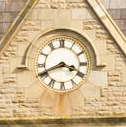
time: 3:41
